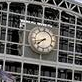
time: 7:42
